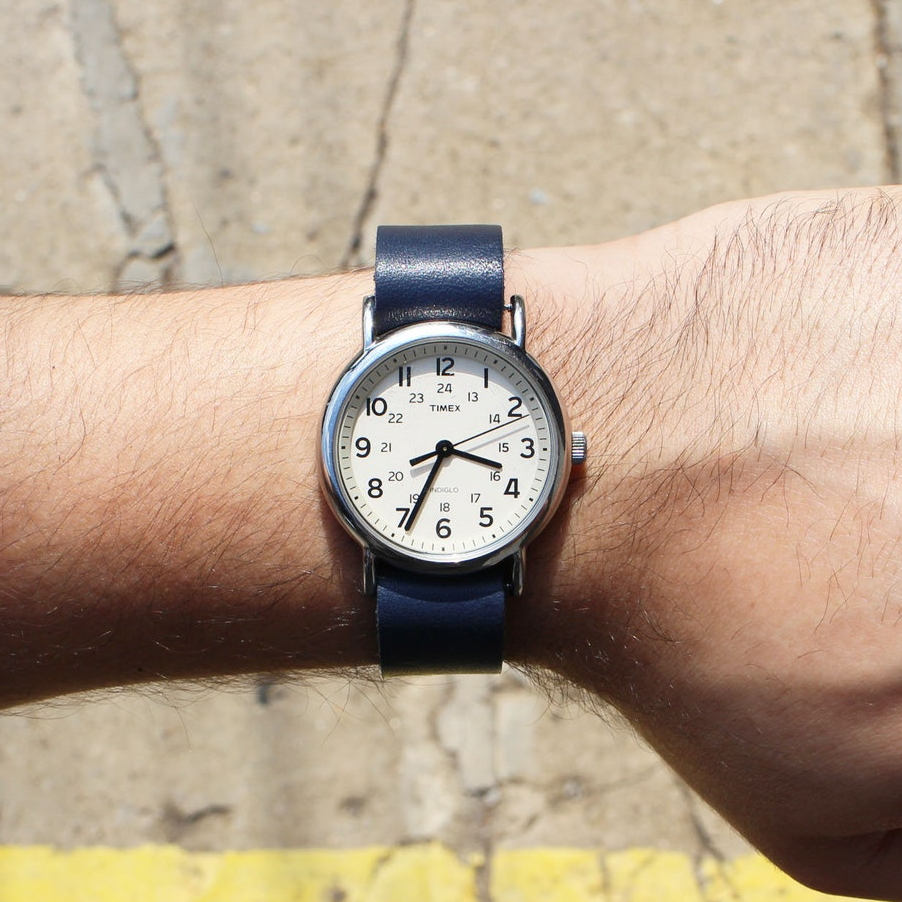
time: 3:34
